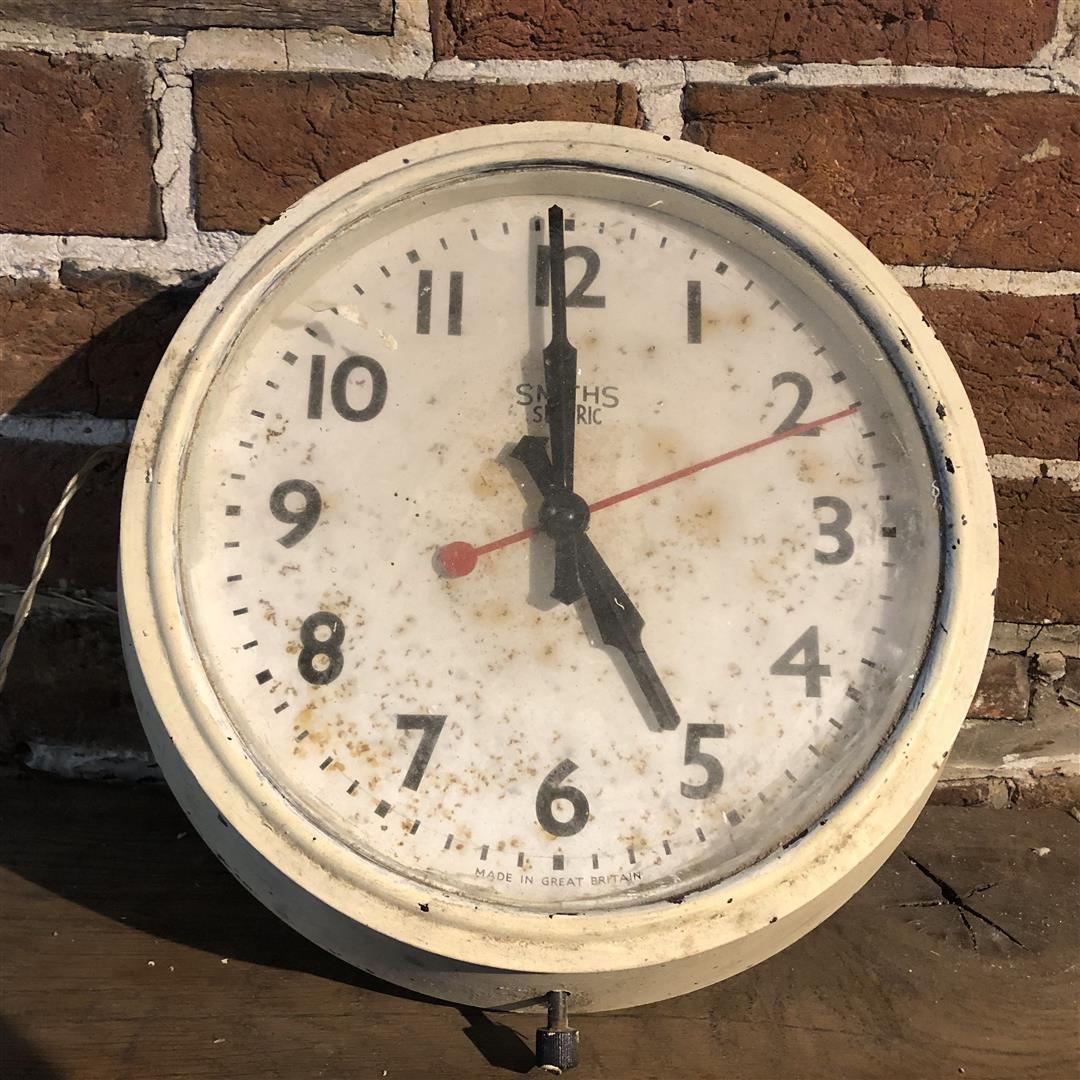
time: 4:59
